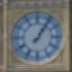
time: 1:05
